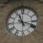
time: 11:18
